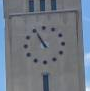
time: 10:55
